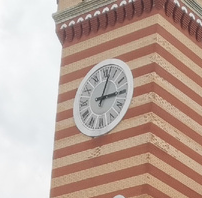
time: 3:02
